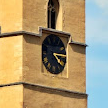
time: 4:14
